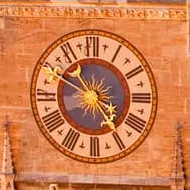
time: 4:49
